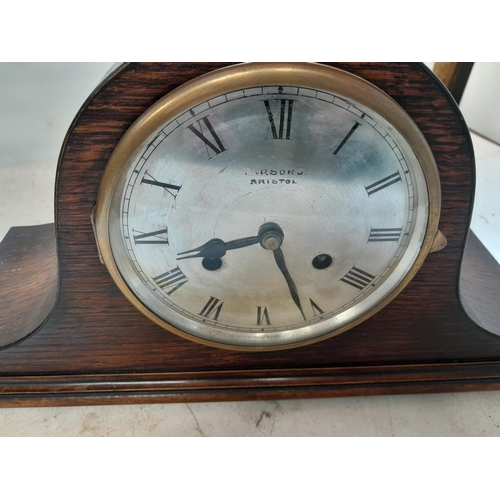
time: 8:26
